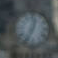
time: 12:34
